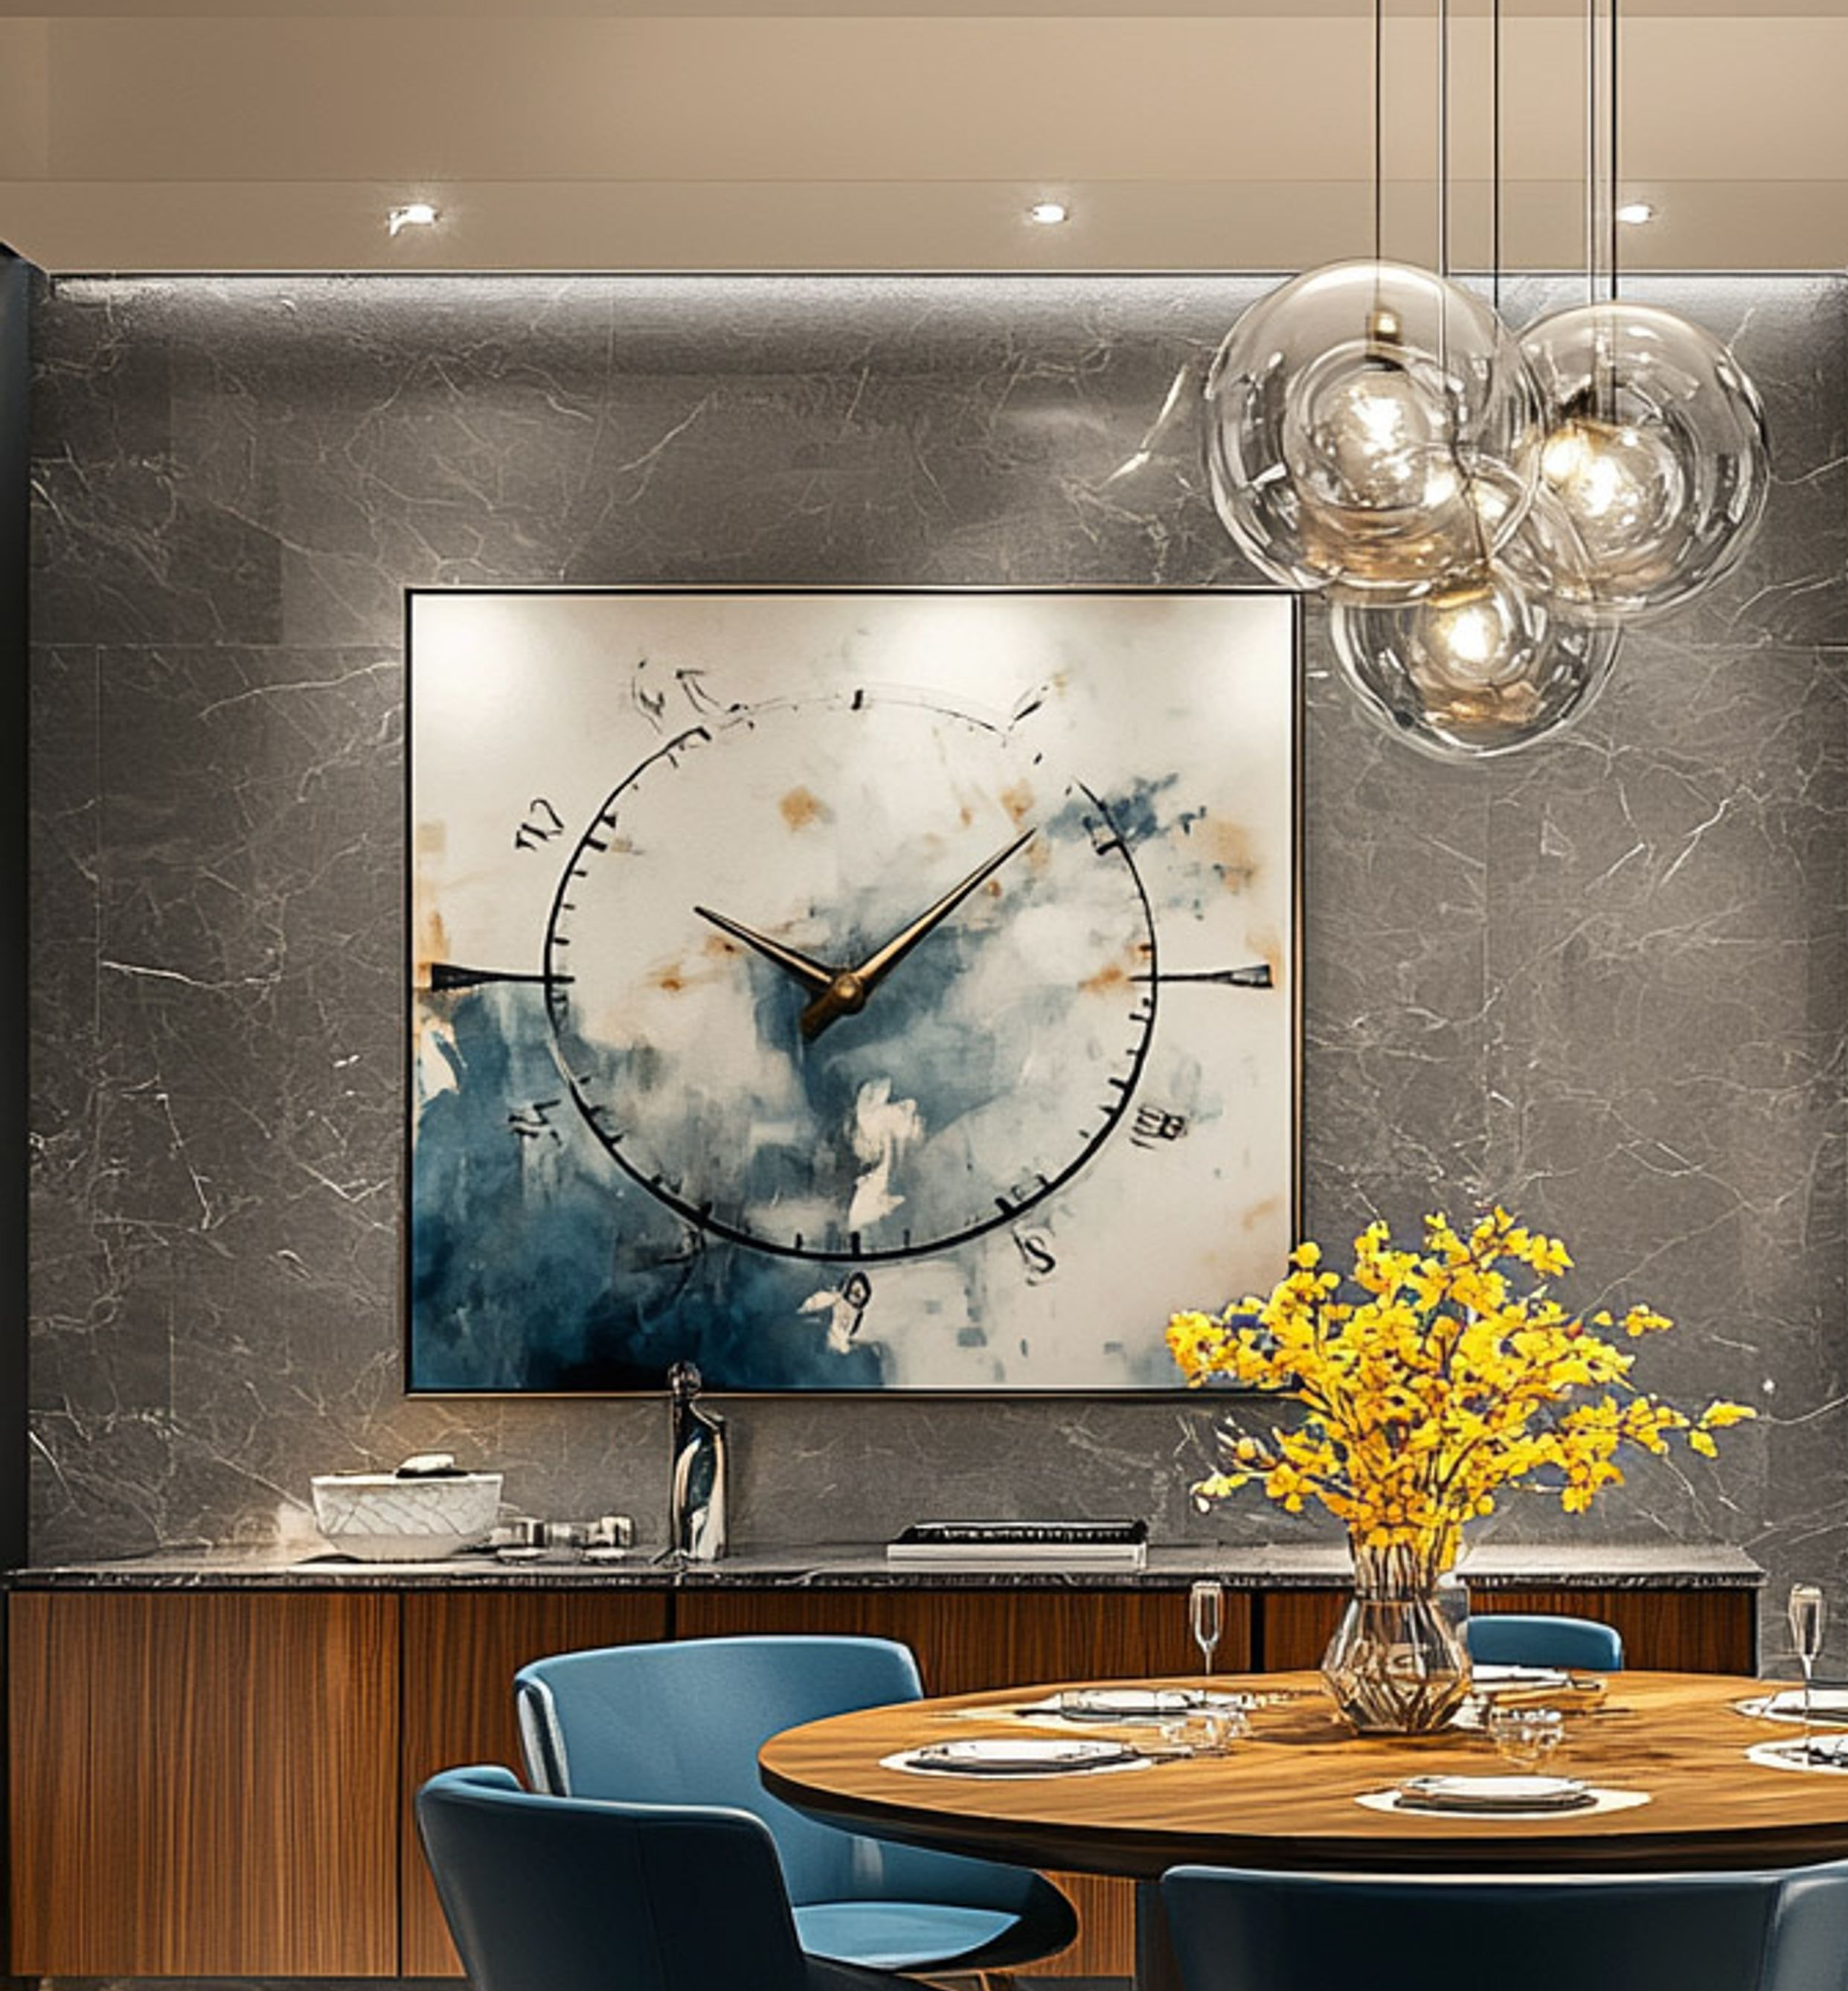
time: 10:07
